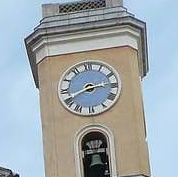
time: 2:41
